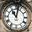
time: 11:02
